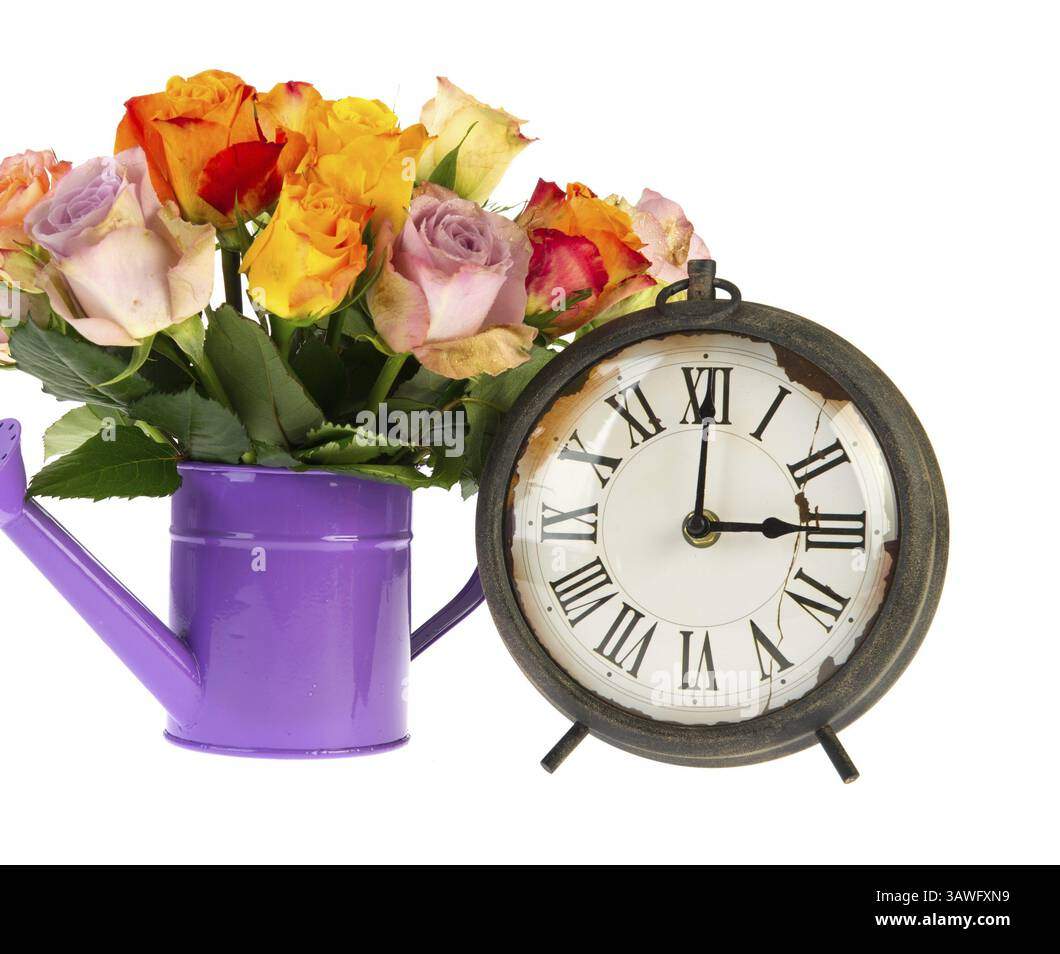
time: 3:00
